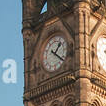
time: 1:20
